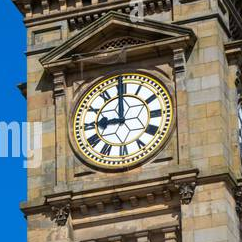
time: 8:59
